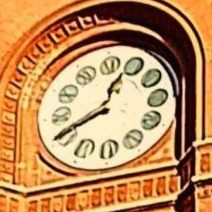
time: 12:40
